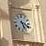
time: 5:18
